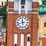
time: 11:42
